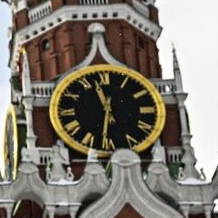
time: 11:31
